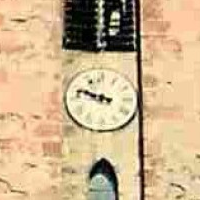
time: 9:48
